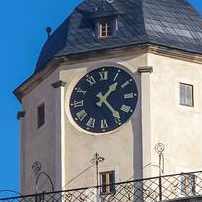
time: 1:23
